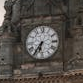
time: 6:36
